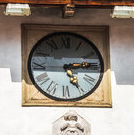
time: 5:13
